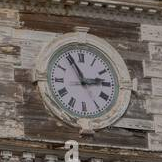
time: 2:55
